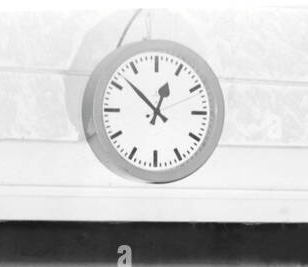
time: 12:52
